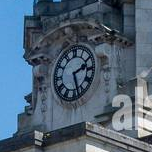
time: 2:27
